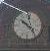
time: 10:23
